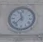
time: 11:37
